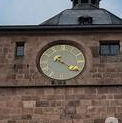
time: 4:21
